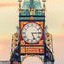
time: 5:14
